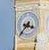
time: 3:37
